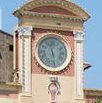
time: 11:28
